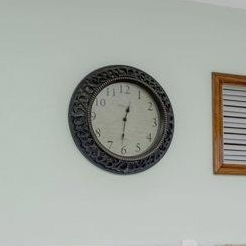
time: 12:31
